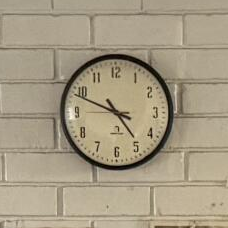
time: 4:48
